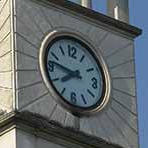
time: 7:46
